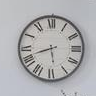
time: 5:42
